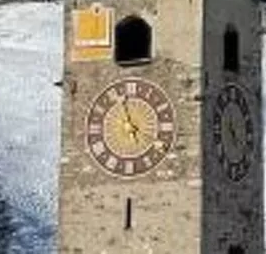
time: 4:57
